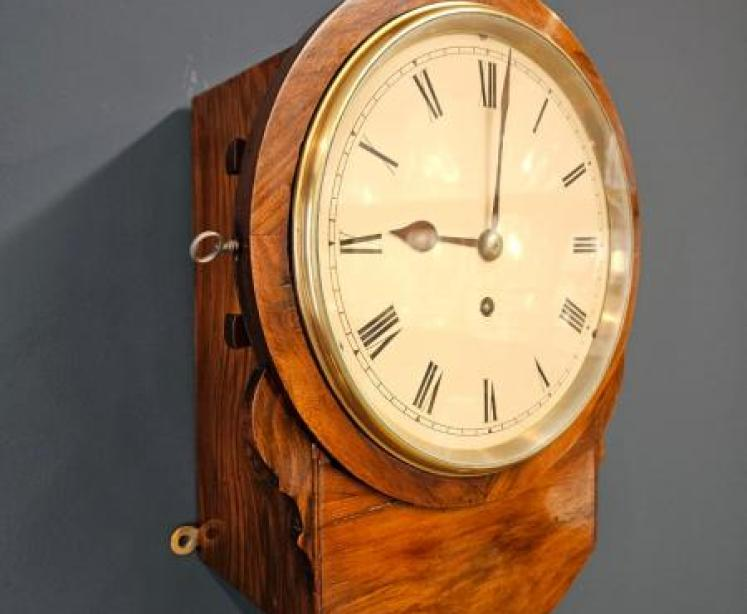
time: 9:01
